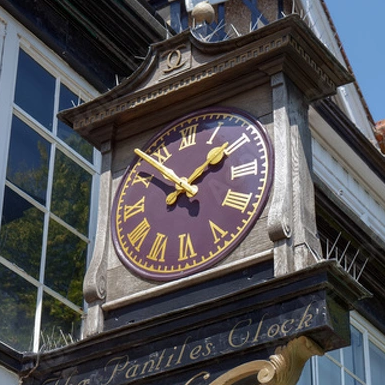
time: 1:51
